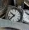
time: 9:38
